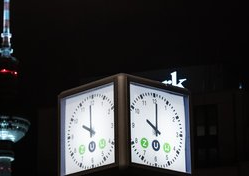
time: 10:00
